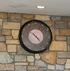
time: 10:22
